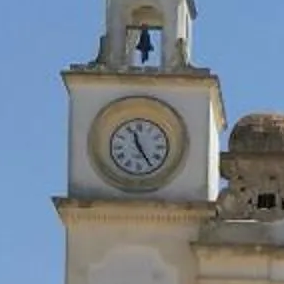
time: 11:24
